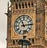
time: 11:13
